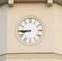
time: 8:45
